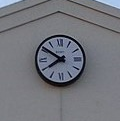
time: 7:50
